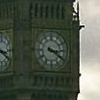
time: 3:20
